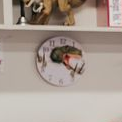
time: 1:21
